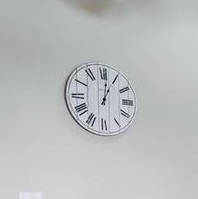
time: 1:01
